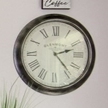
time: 2:23
